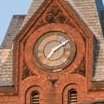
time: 7:09
